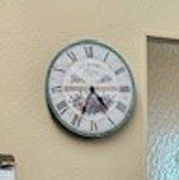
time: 4:34
